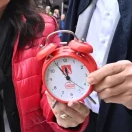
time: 11:54
